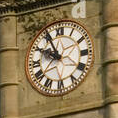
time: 9:55
